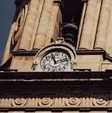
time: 2:56
